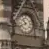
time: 10:41
